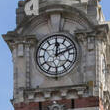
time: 12:11
